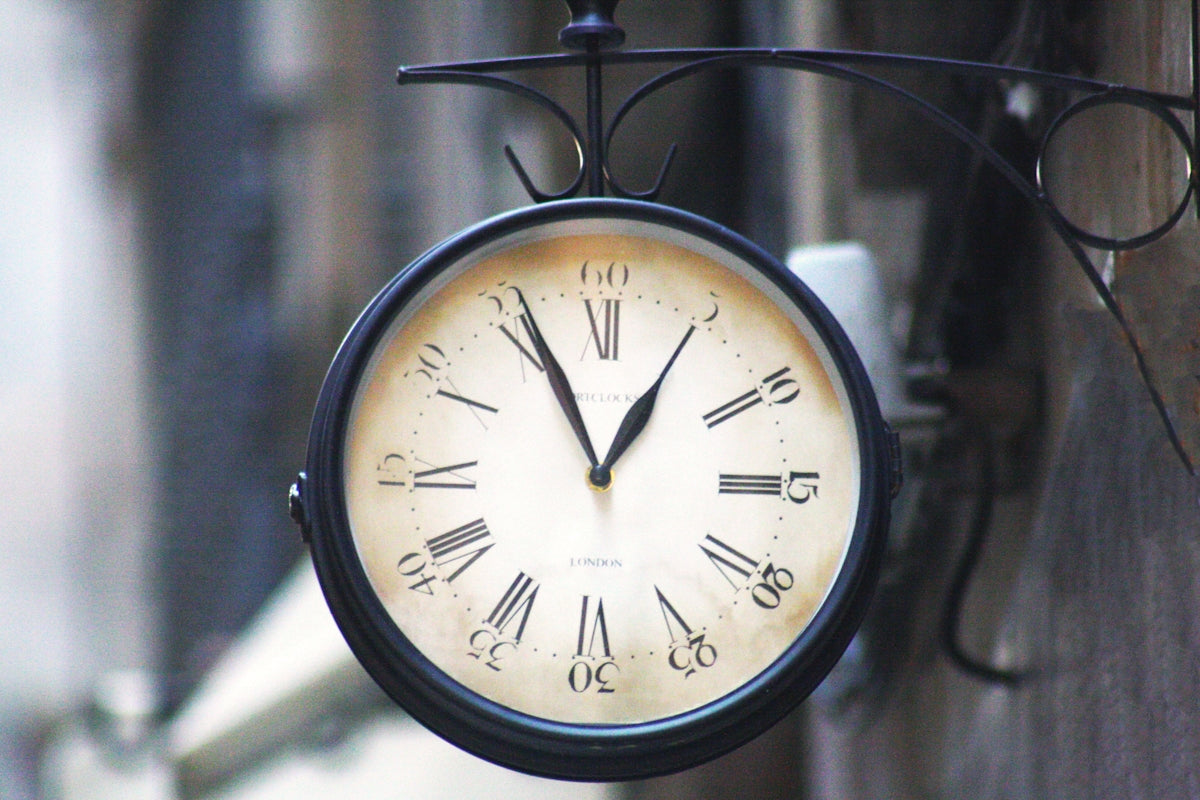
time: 12:55
